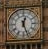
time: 12:26
